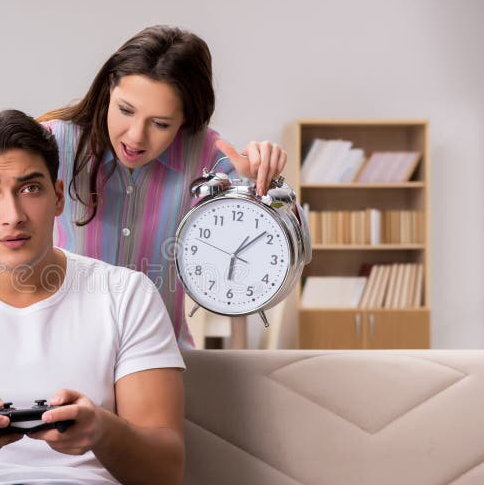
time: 6:08
